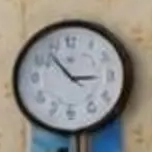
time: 2:53
